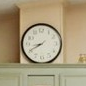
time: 8:40
